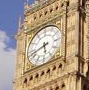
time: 5:42
